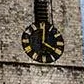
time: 4:01
